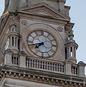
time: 7:42
